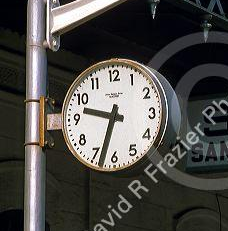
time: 9:32
